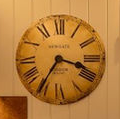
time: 3:35
